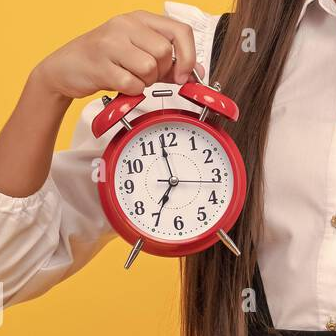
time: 6:58
